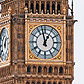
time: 12:57
